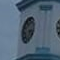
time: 9:36
